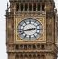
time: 2:42
